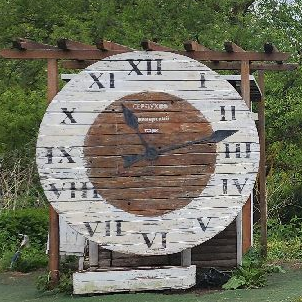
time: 11:12
